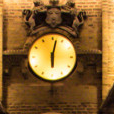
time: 6:02
